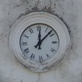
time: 12:07
